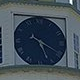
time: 5:19
